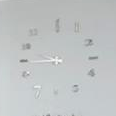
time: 9:44
